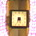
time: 4:35
